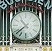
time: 10:38
